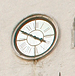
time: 3:49
